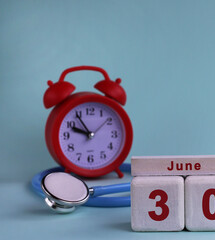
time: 9:54
